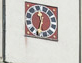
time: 11:32
